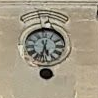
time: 5:32
